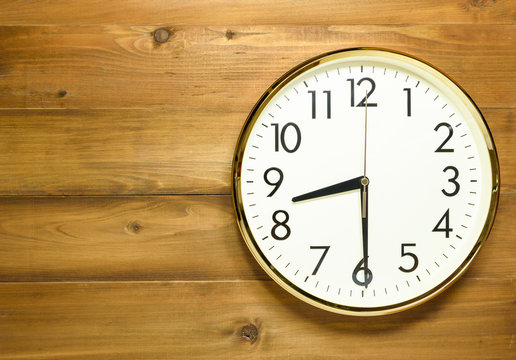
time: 8:29
